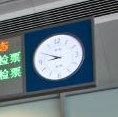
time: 8:49
